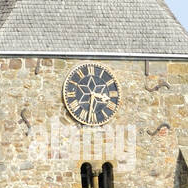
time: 3:32
